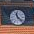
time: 11:22
